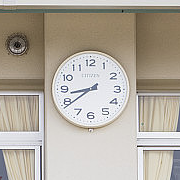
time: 8:39
